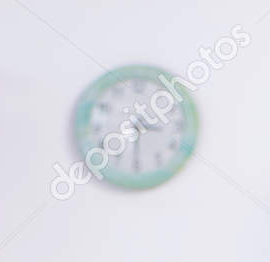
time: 3:30
